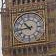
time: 10:43
